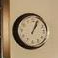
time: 1:03
